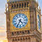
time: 4:34
